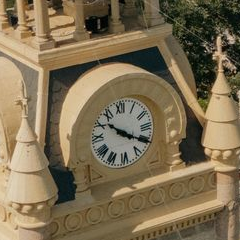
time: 10:20
